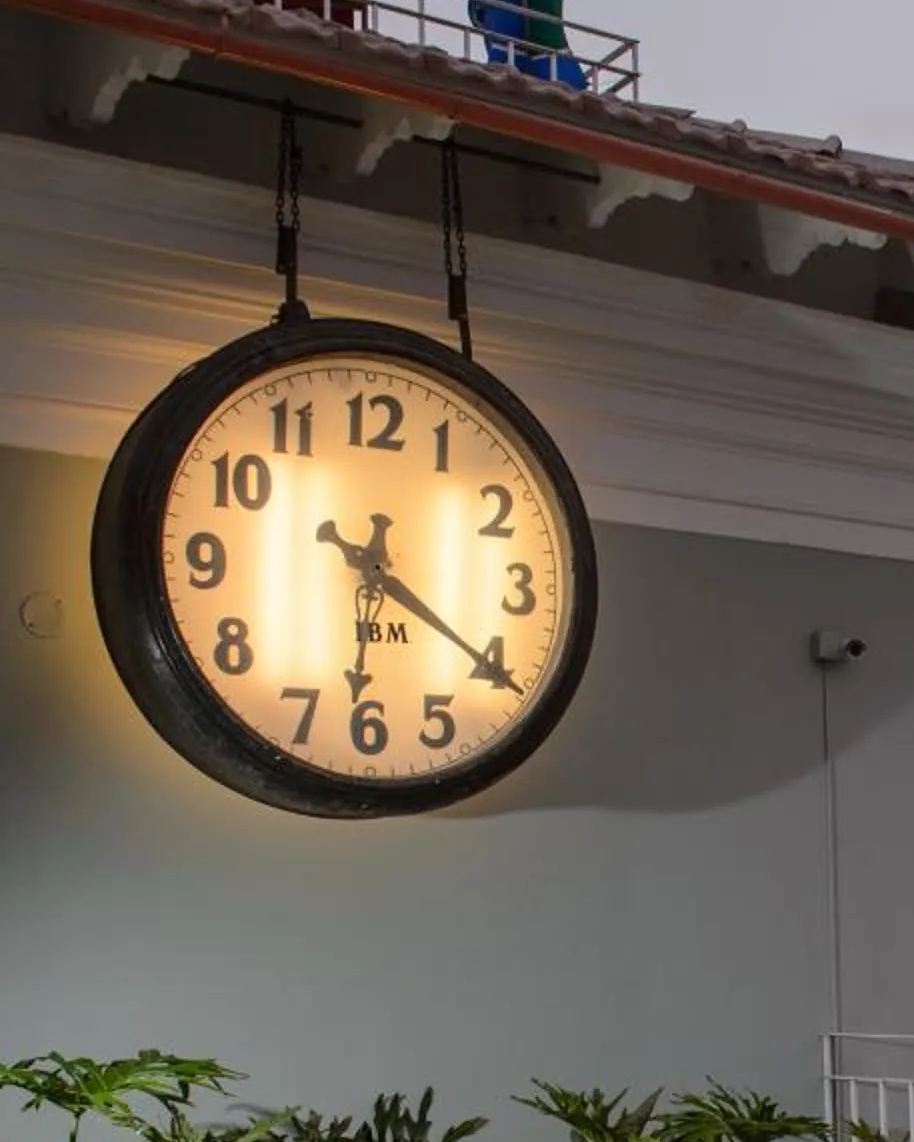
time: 6:20
